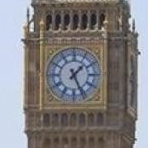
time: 1:26
